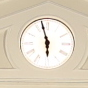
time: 5:57
